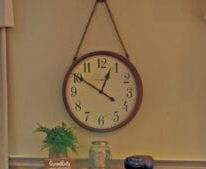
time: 12:50
